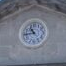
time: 10:44
